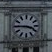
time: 3:45
